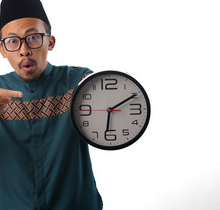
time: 6:10
